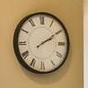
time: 2:09
